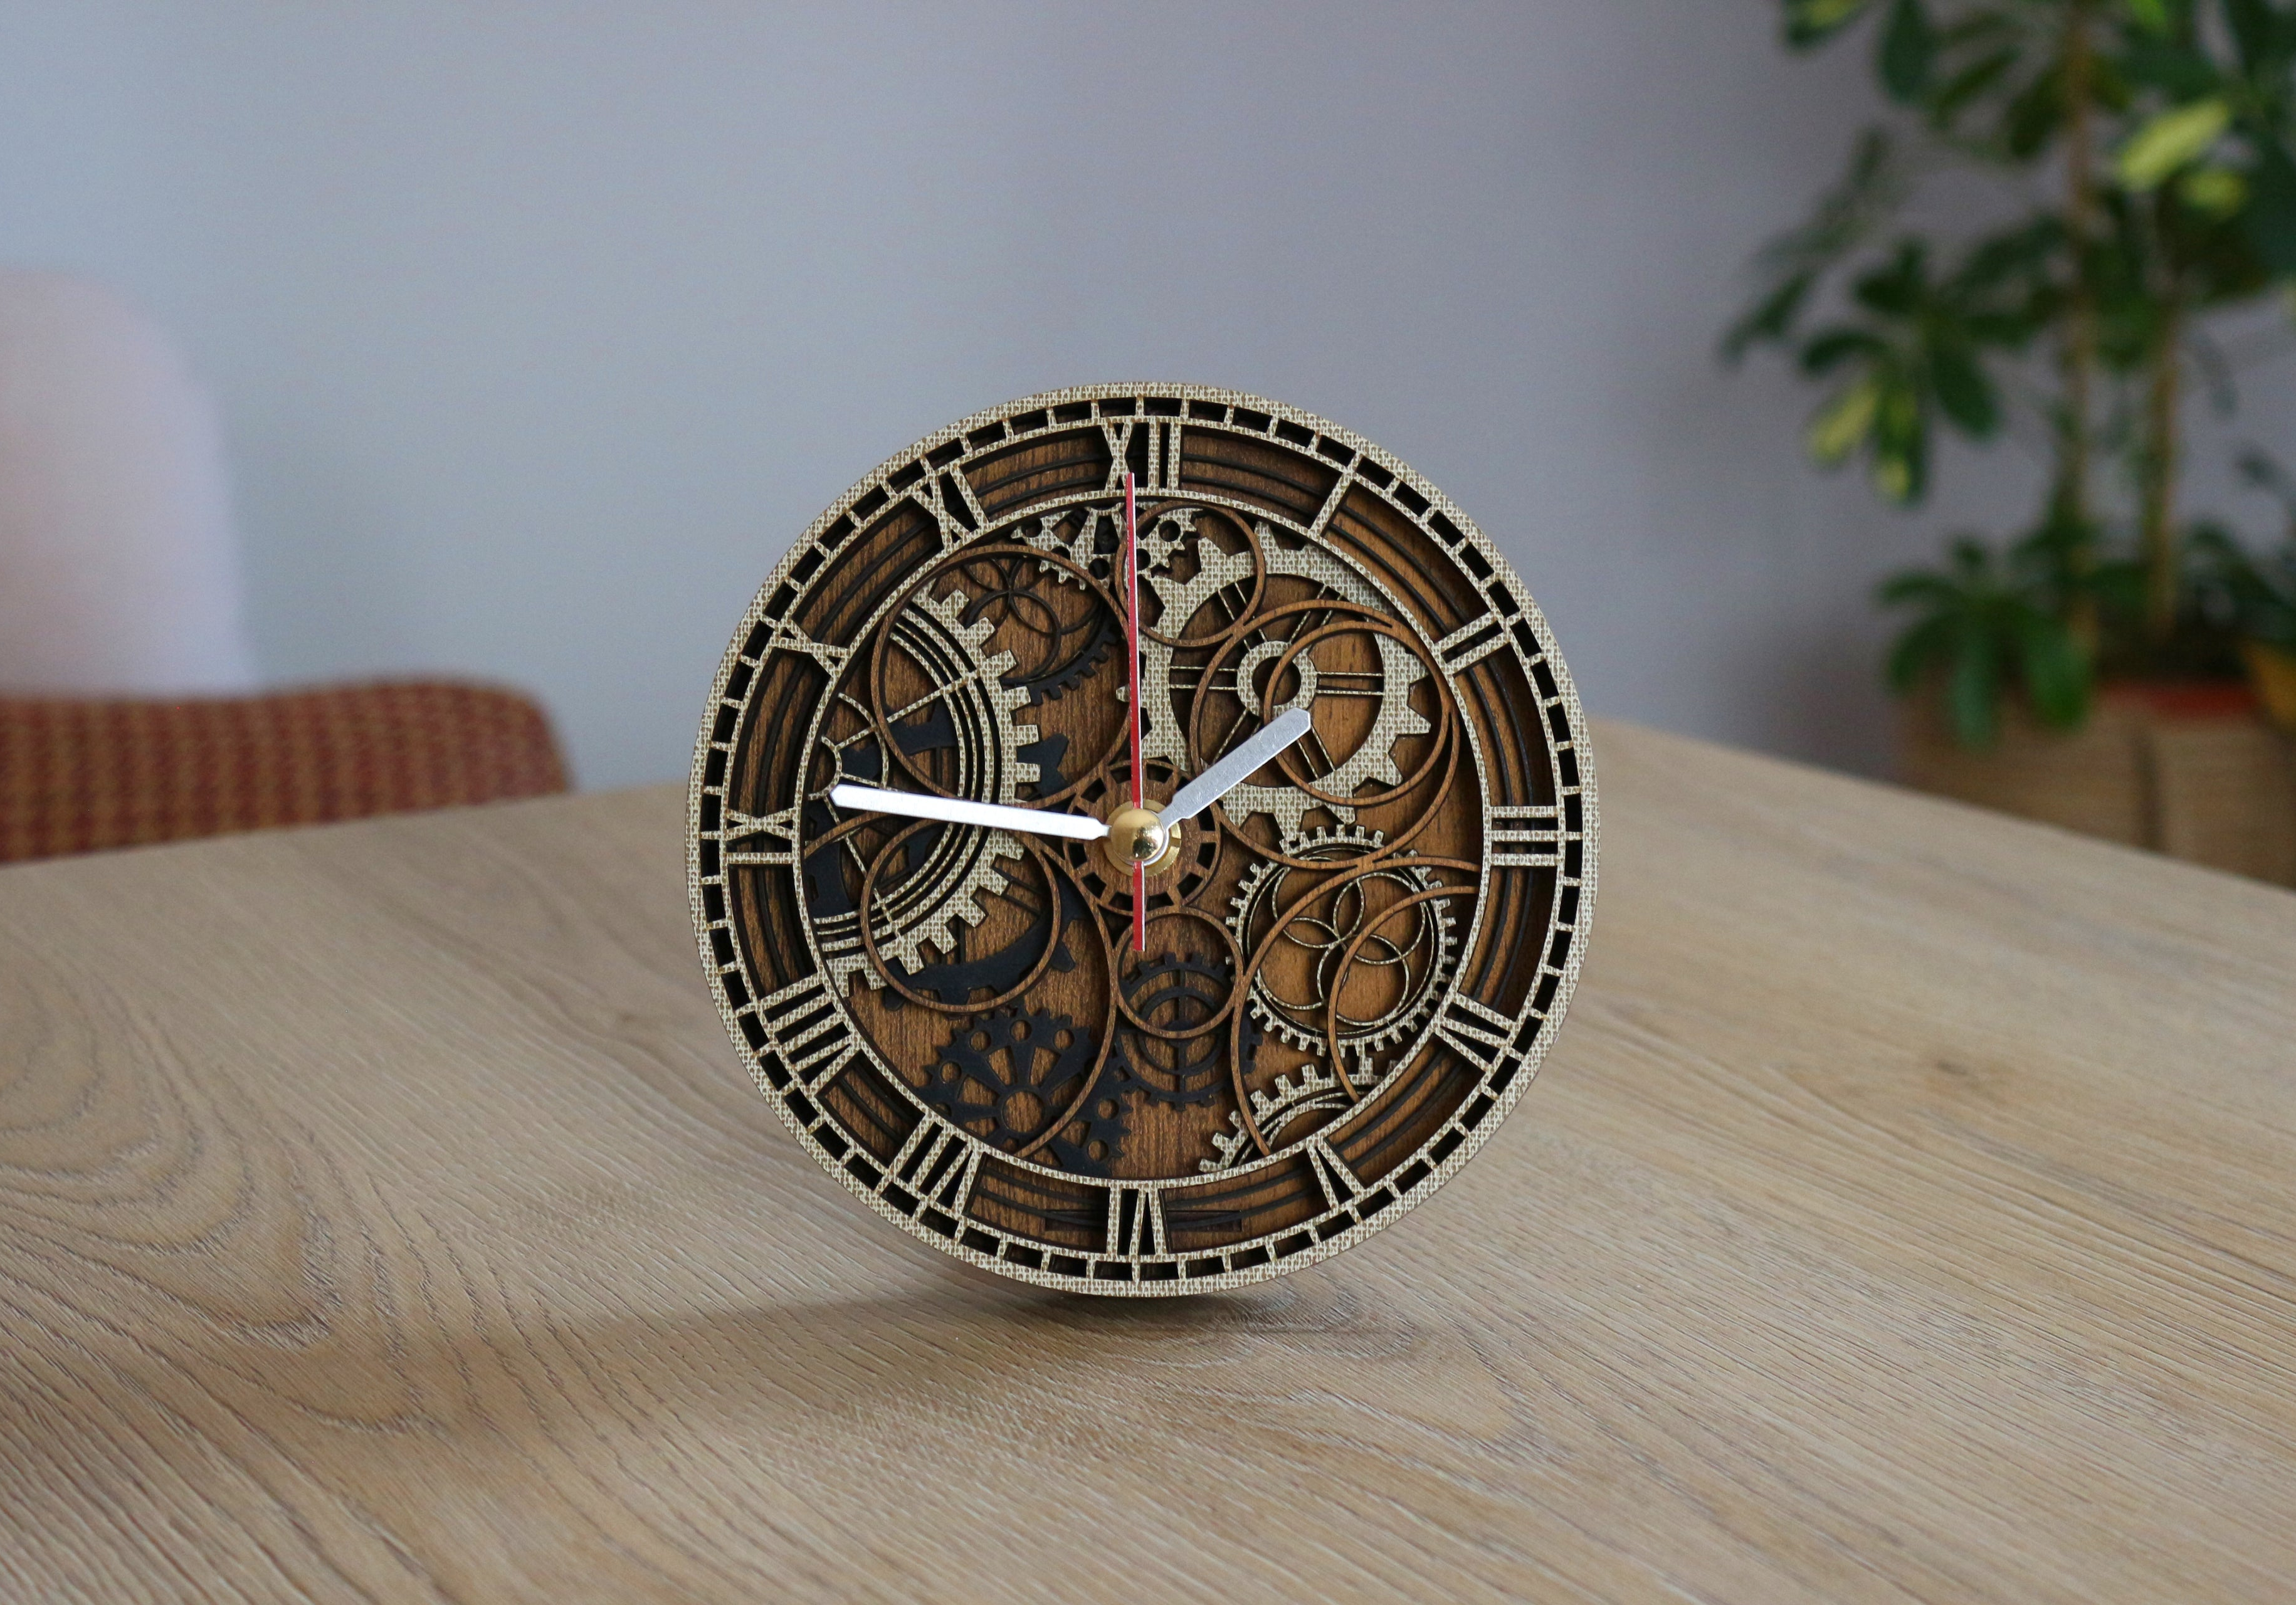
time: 1:46
